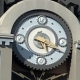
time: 5:19
